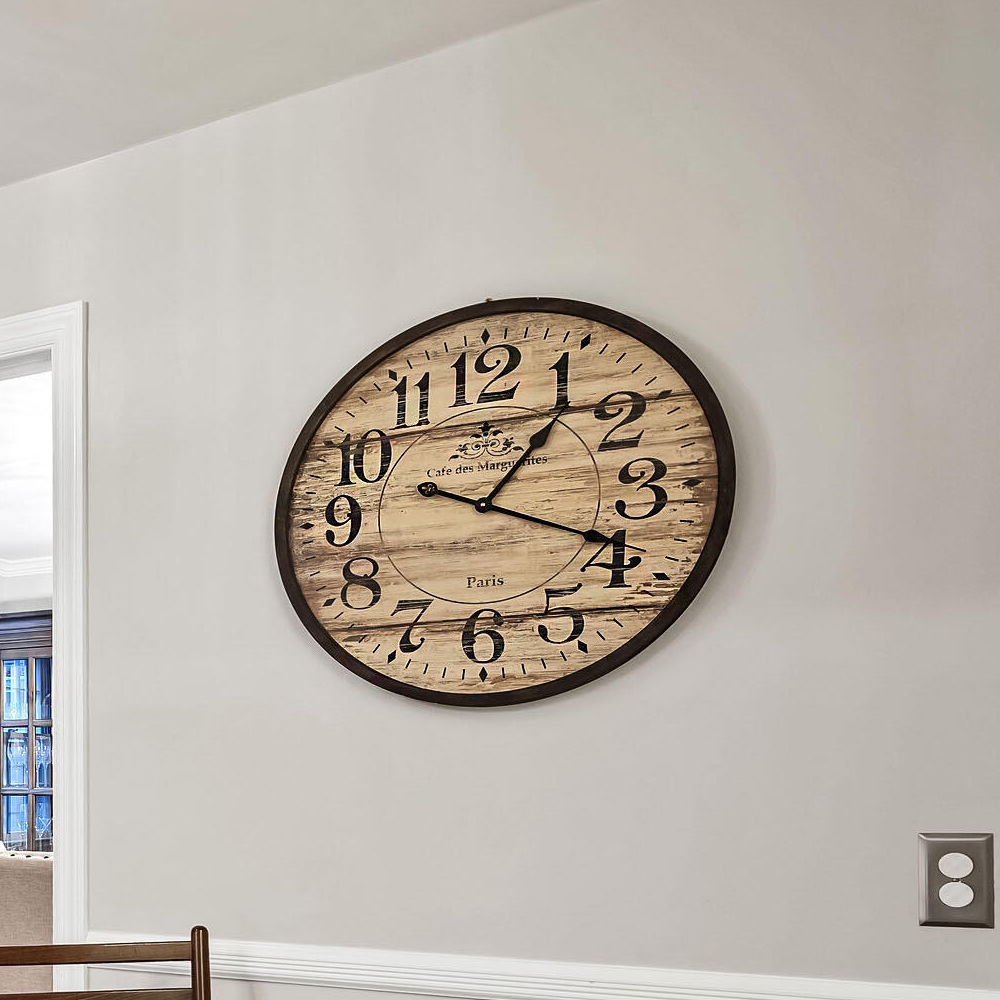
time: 1:18
